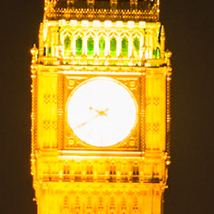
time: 9:39
